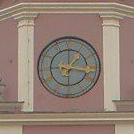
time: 1:16
